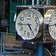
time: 4:44
